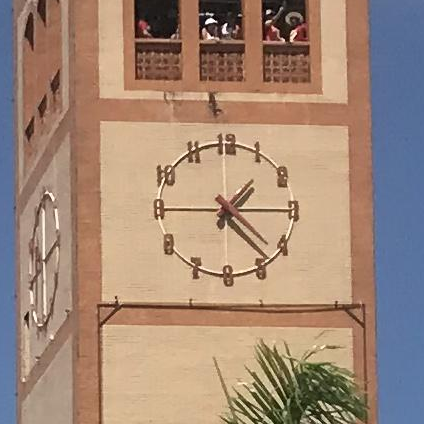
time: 1:22
